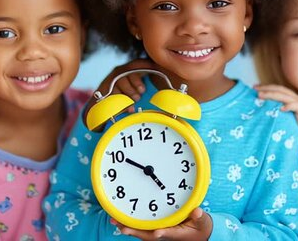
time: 4:50
